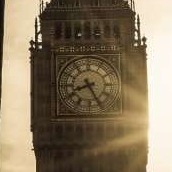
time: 8:26
